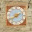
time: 7:40
